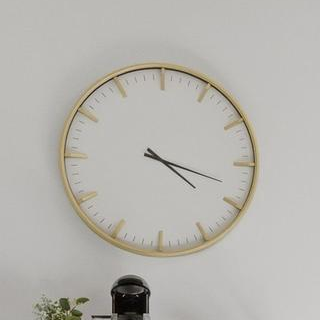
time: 4:18
